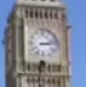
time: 3:13
